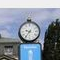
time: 9:36
